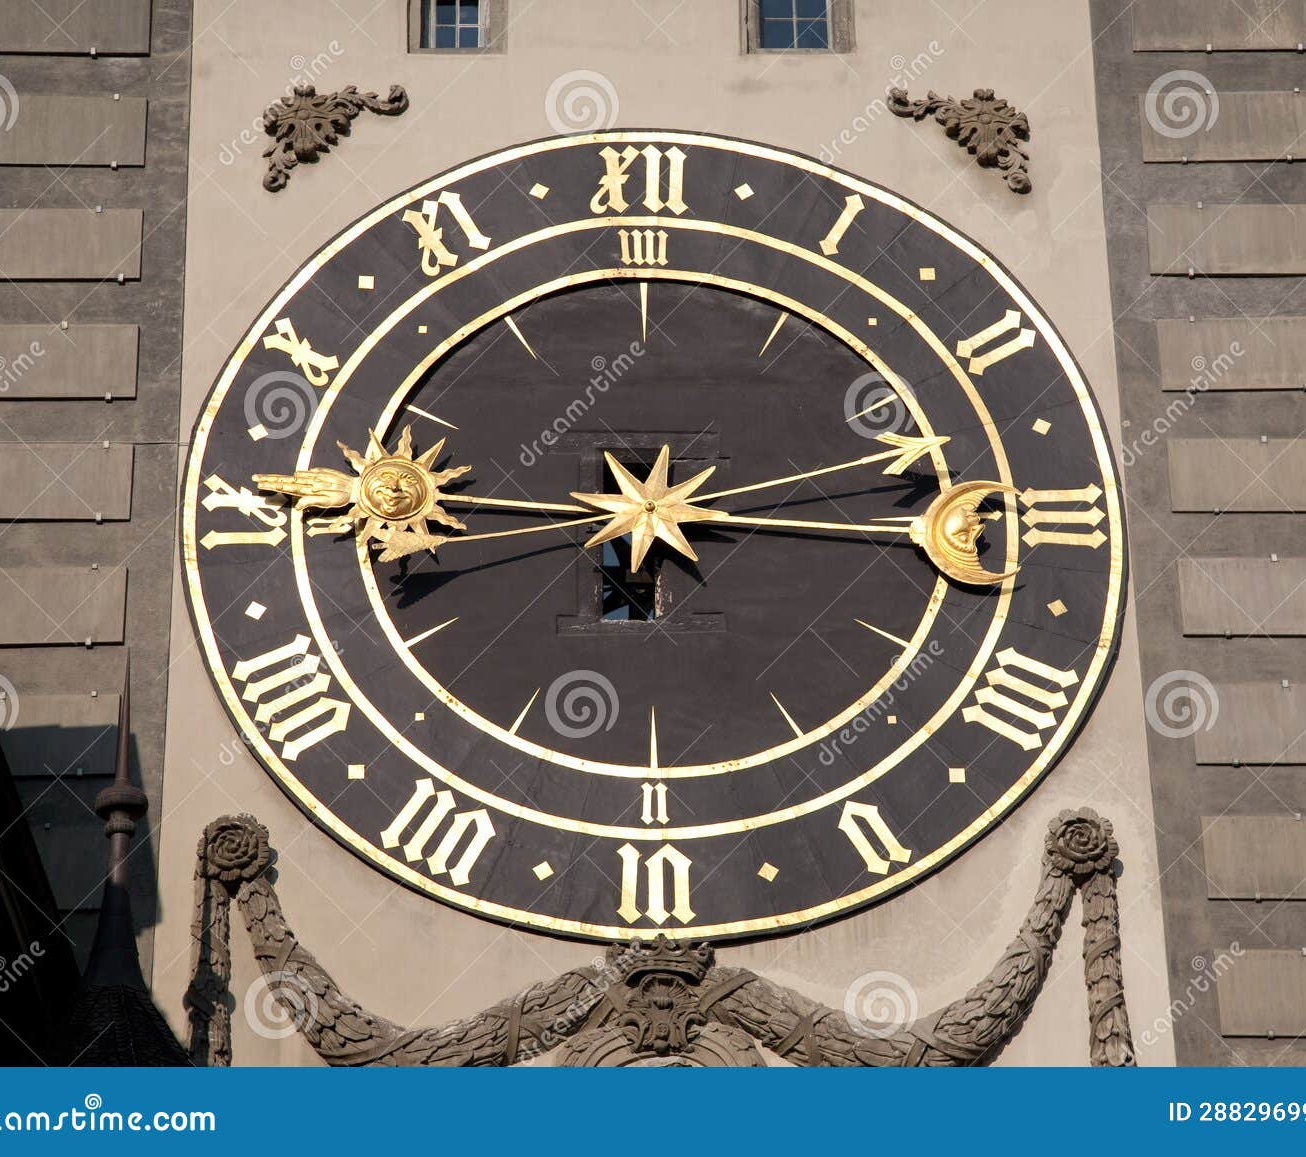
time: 6:45
